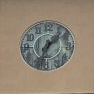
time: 1:33
